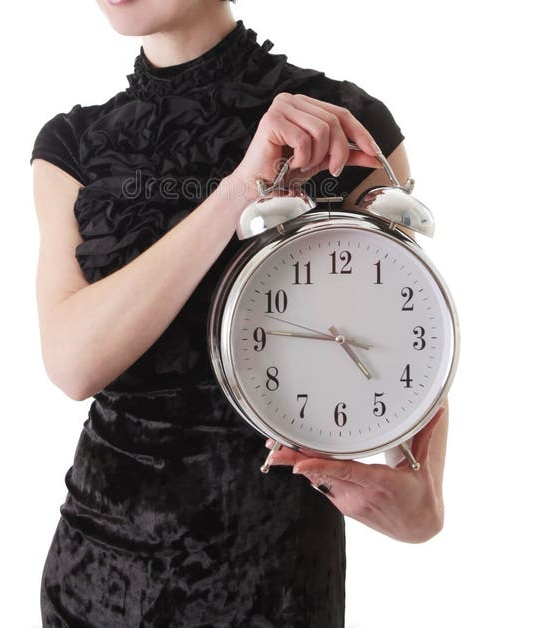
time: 4:45
